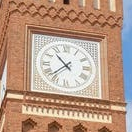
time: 10:37
